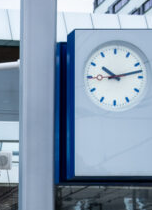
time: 9:12
